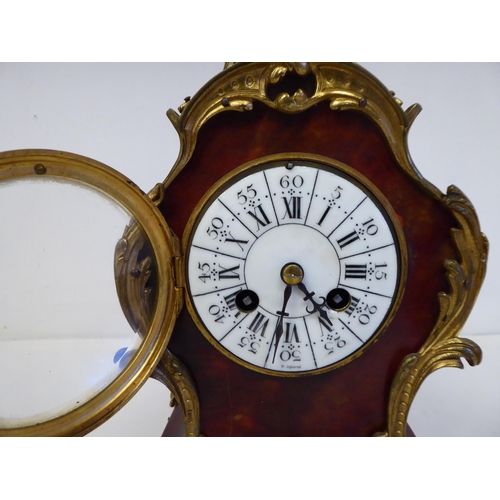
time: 4:32
